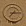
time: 7:14
